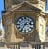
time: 2:36
